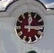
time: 12:16
